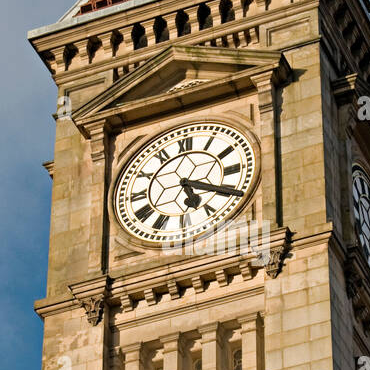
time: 5:19
